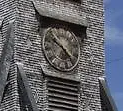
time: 4:50
